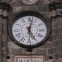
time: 5:02
